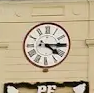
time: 4:14
